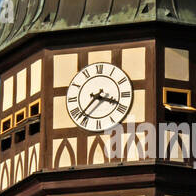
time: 3:37
